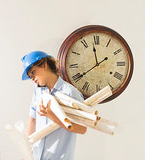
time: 11:39
